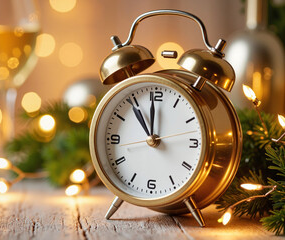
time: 10:59
